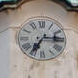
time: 7:14
